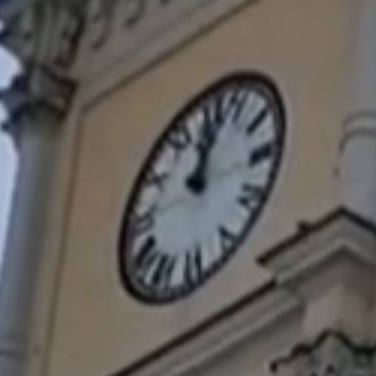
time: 12:02
